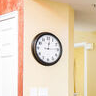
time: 12:14
